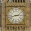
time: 2:42
